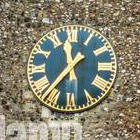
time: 11:36
